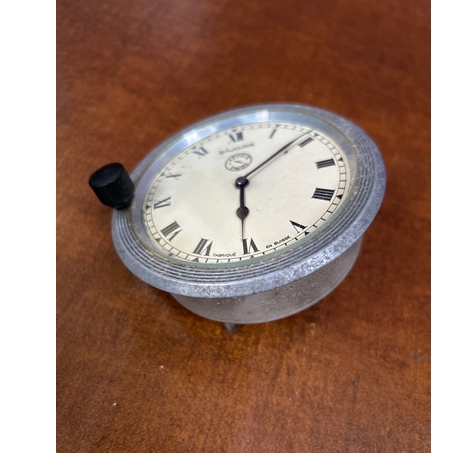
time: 6:09
